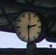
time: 2:30
